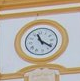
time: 11:21
